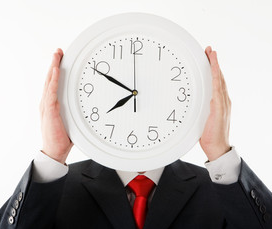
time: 7:49
